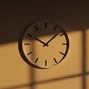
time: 10:07
